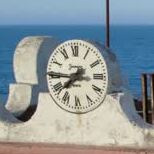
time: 7:45
